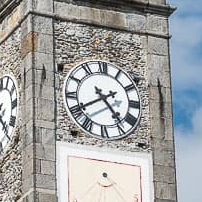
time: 4:40
